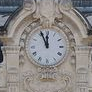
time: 11:55
